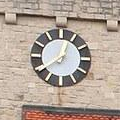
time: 12:39
